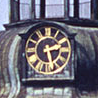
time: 2:27
